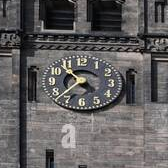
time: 10:37
